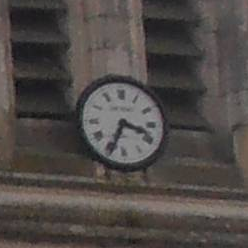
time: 3:34
